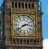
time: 2:38
